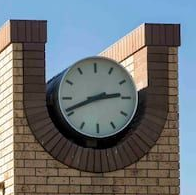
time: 2:41
